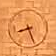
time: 8:26
